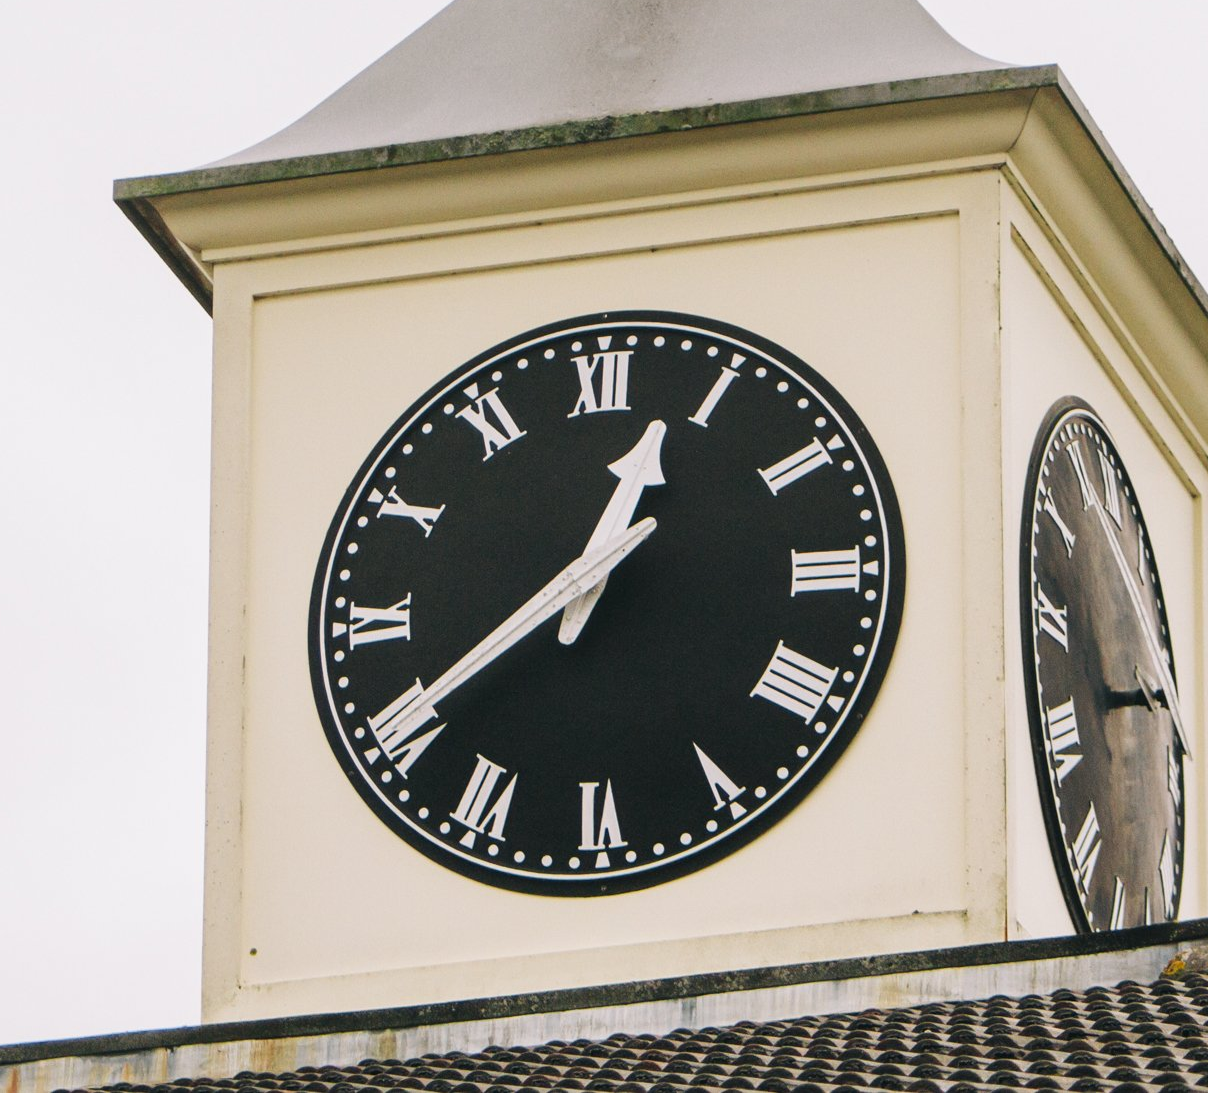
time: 12:40
